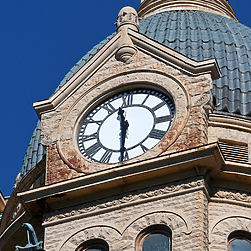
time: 11:30
